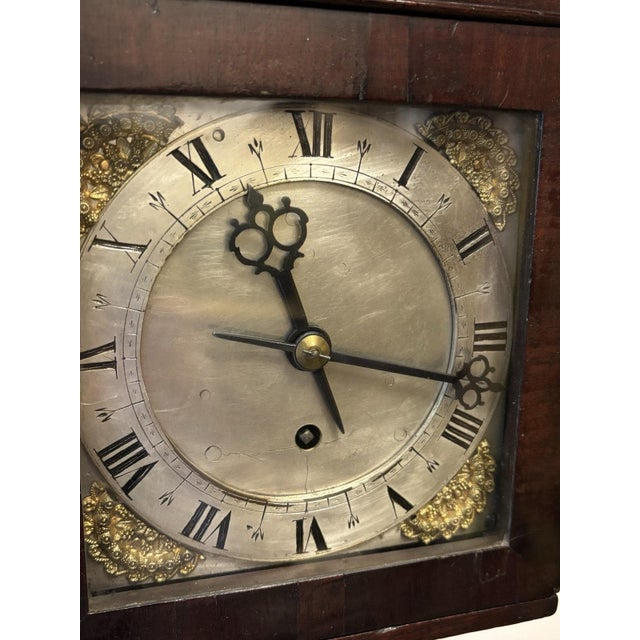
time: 11:17
